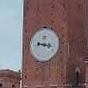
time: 11:46
